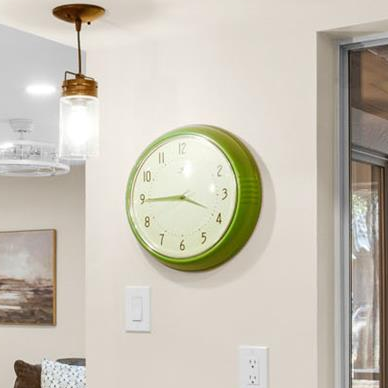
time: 3:44
